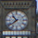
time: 10:38
